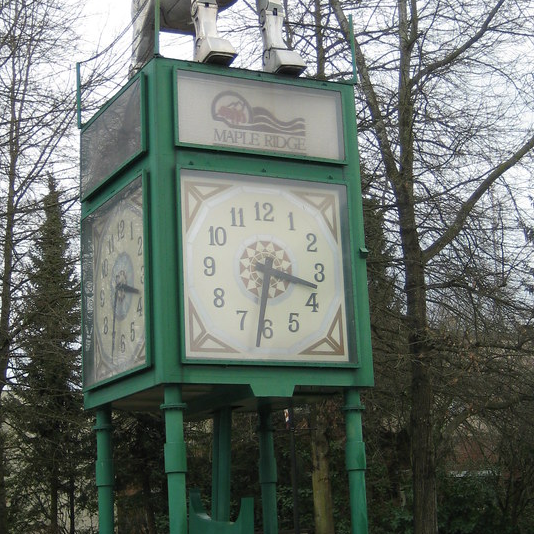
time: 3:31
